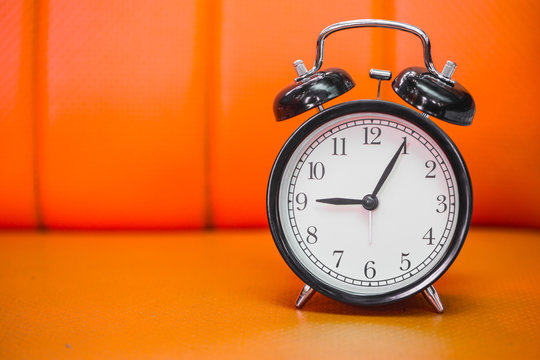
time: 9:05
